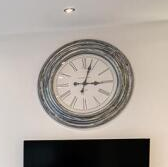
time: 3:02
